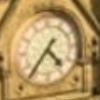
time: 4:35
